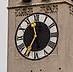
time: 11:35
